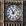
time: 11:07
